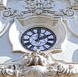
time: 2:00
